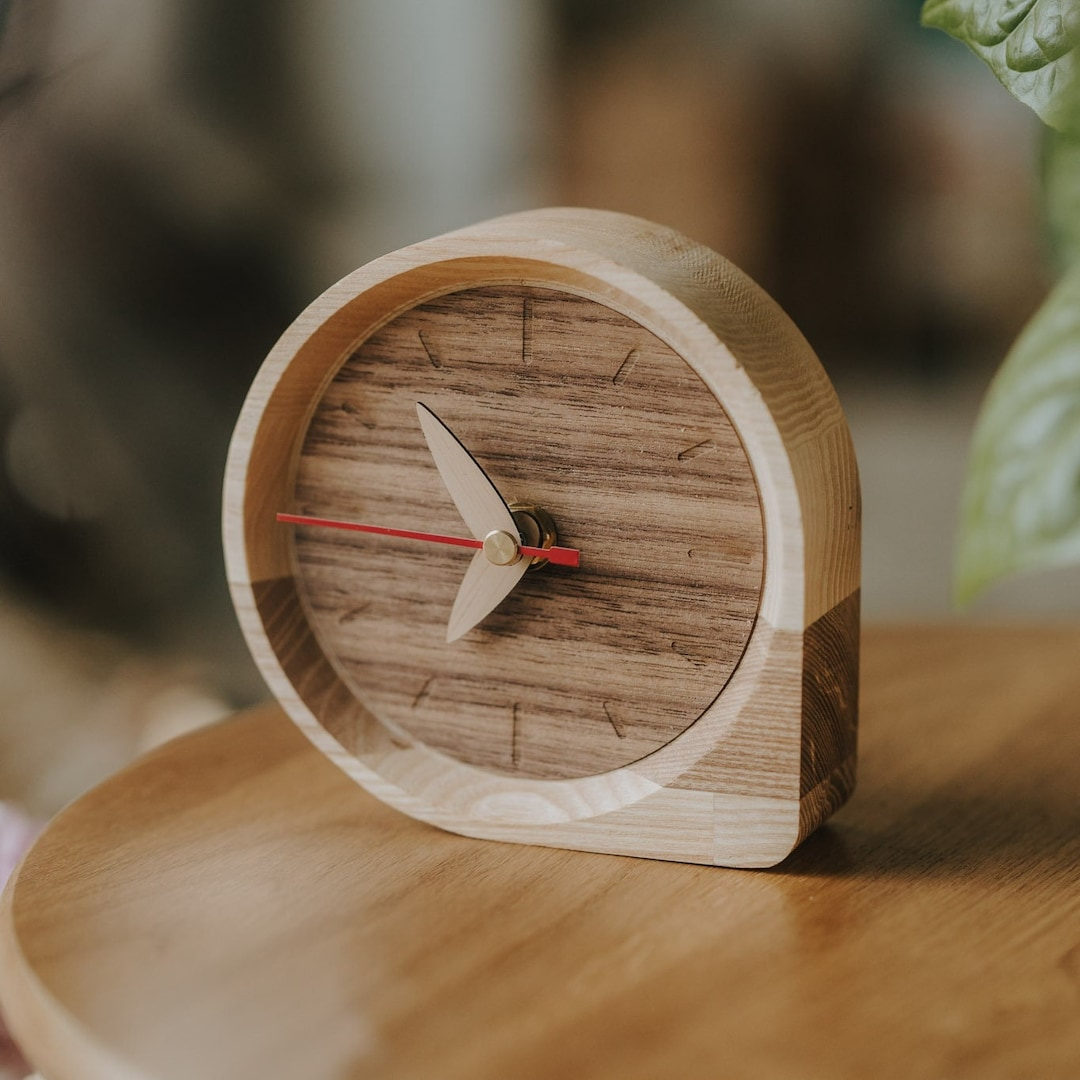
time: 6:53
